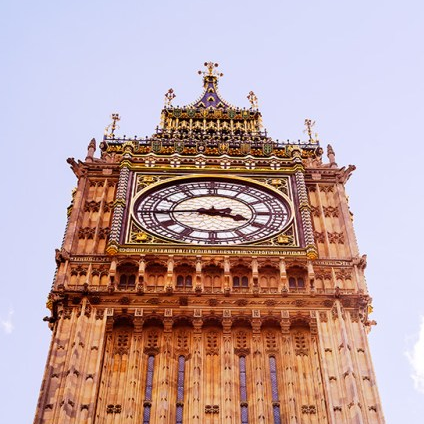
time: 3:43
